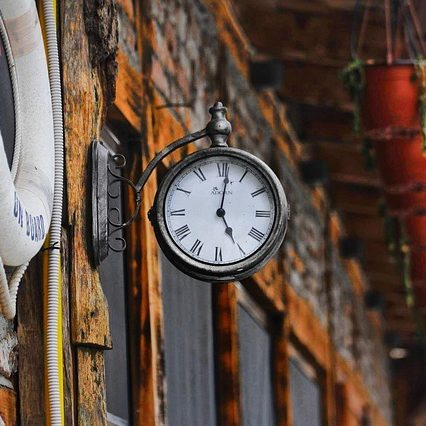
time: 5:01
